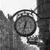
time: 12:32
